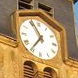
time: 11:35
